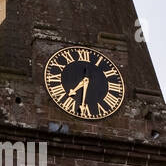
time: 7:31
